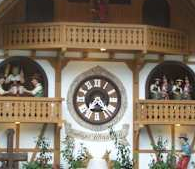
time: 7:23
